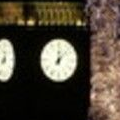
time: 12:07
